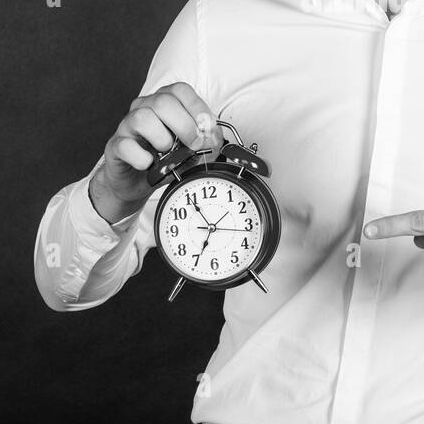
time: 6:55
